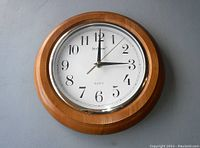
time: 3:00
